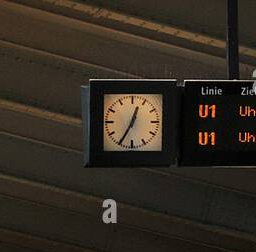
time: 12:34
